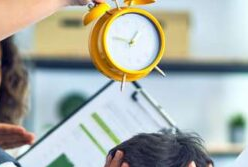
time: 12:46
